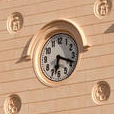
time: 6:18
